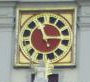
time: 11:14
